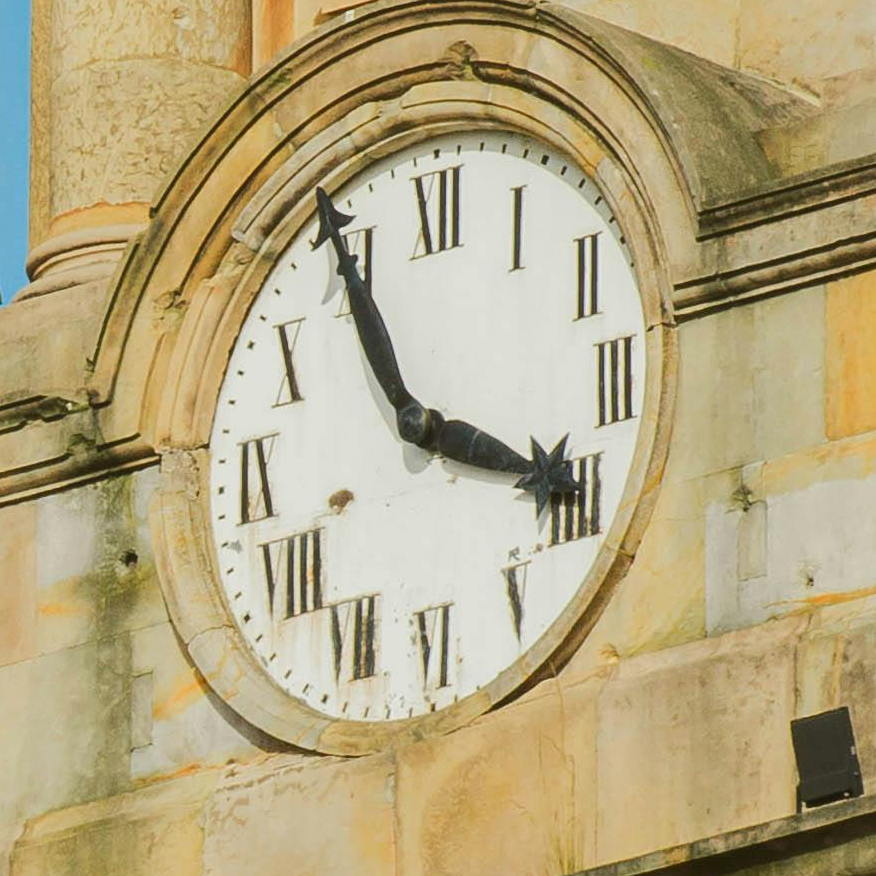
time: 3:54
